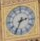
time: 2:34
